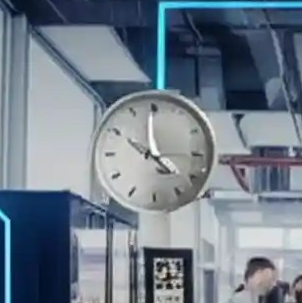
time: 3:58
